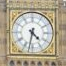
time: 4:32
